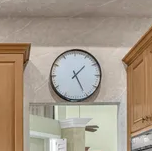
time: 1:25
